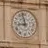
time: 8:58
